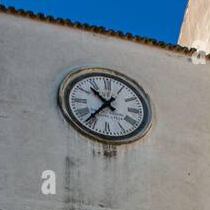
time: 10:36
